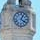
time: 4:04
